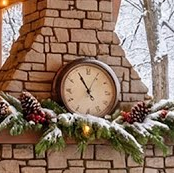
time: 10:55
